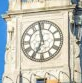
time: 6:58
